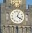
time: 4:03
